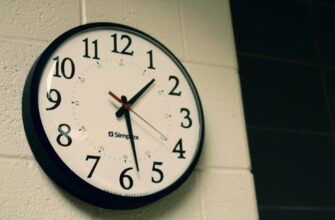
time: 1:28
